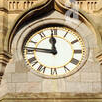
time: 11:46
